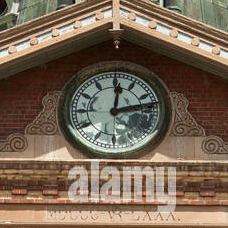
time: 12:12
